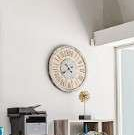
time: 7:52
